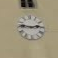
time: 2:46
